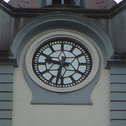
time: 9:32
